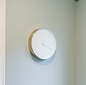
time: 12:19
